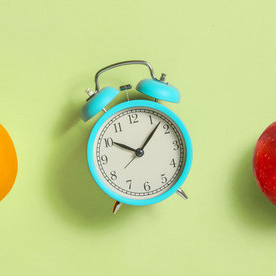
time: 10:07
